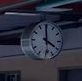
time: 3:59
